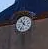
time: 10:34
